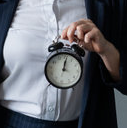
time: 12:01
